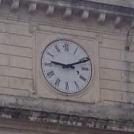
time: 9:11
